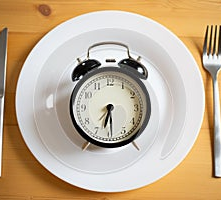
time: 6:29
